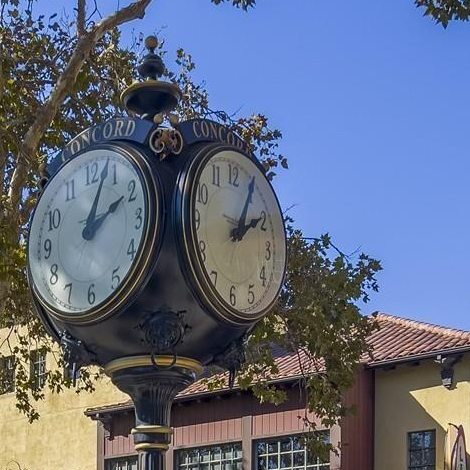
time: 2:04
